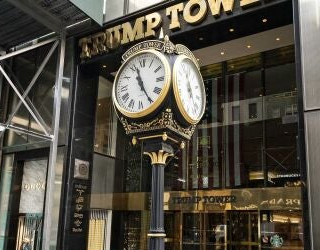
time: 11:24
